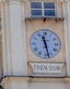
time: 11:27
